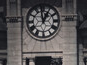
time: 12:58
